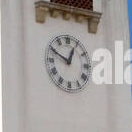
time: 12:49
